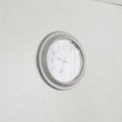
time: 9:33
